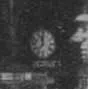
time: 11:37
